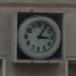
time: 3:05
